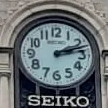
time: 2:12
